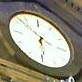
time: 5:51
